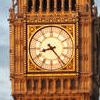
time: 8:23
